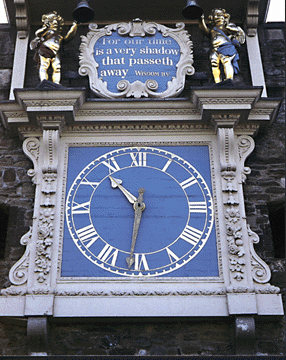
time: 10:31
